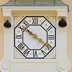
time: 10:20
